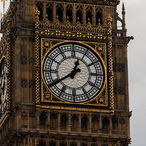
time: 12:39
